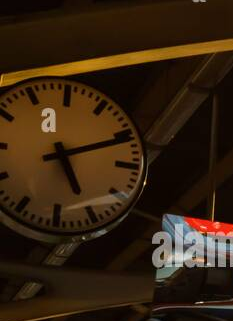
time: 5:11
